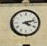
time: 4:12
